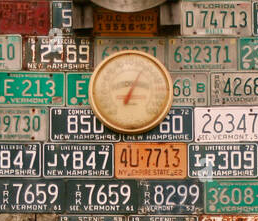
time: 7:04
